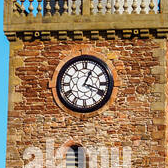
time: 1:18
